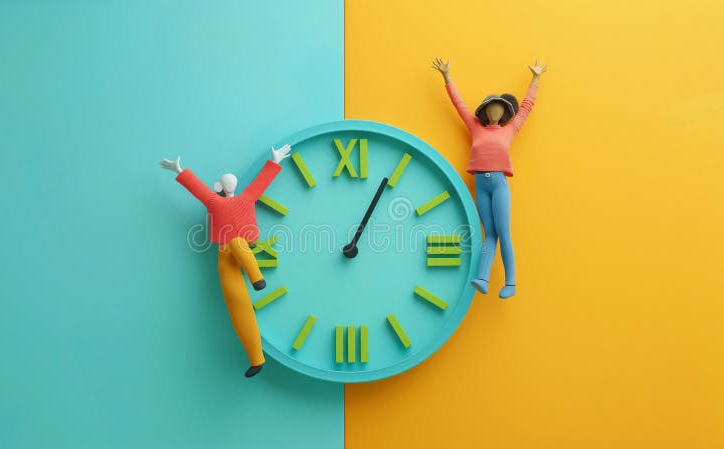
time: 1:04
